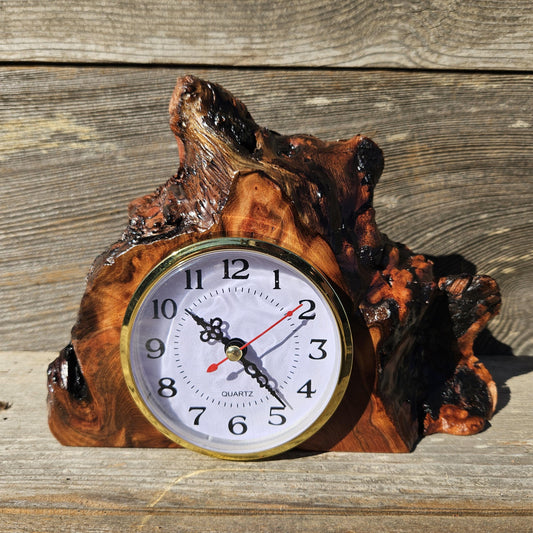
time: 10:23
